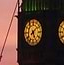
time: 5:08
